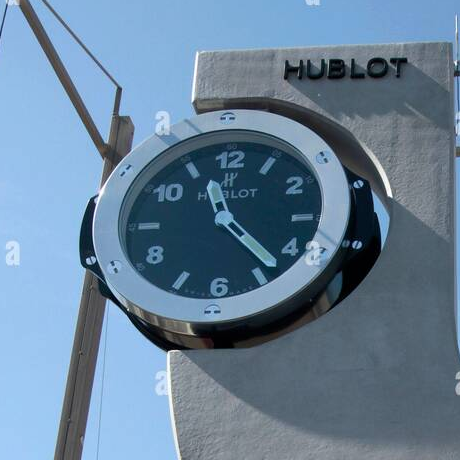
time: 11:23
